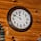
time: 11:49
